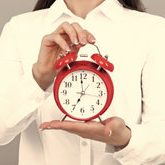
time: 6:59
